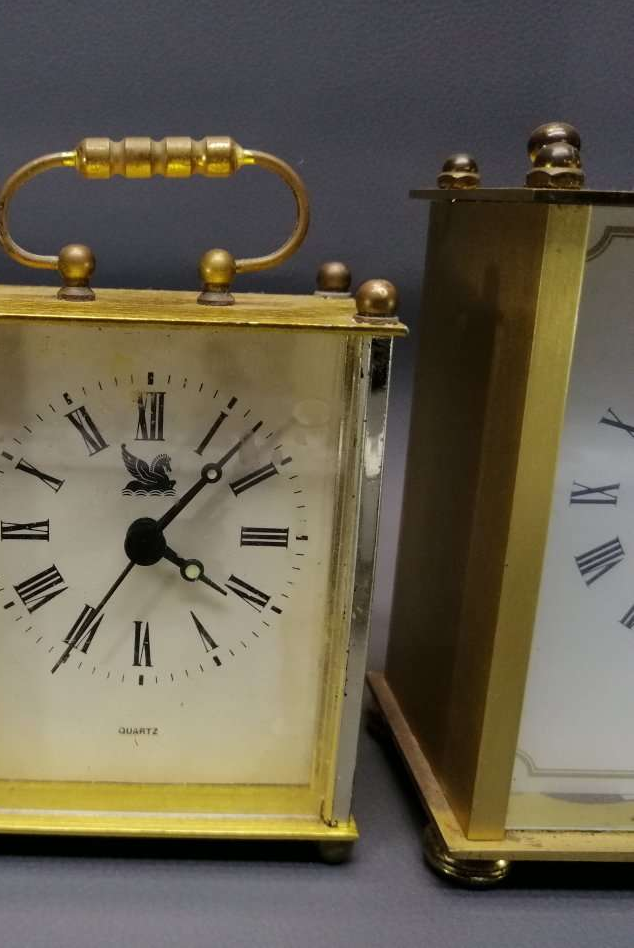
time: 4:07
